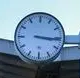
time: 3:15
